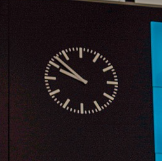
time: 9:52
